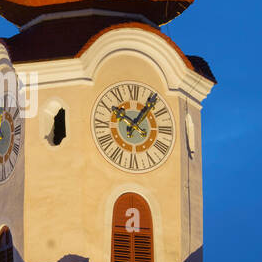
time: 10:06
